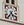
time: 4:35
